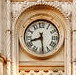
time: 8:29
